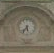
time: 5:36
